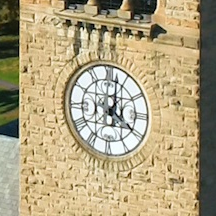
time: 4:01
